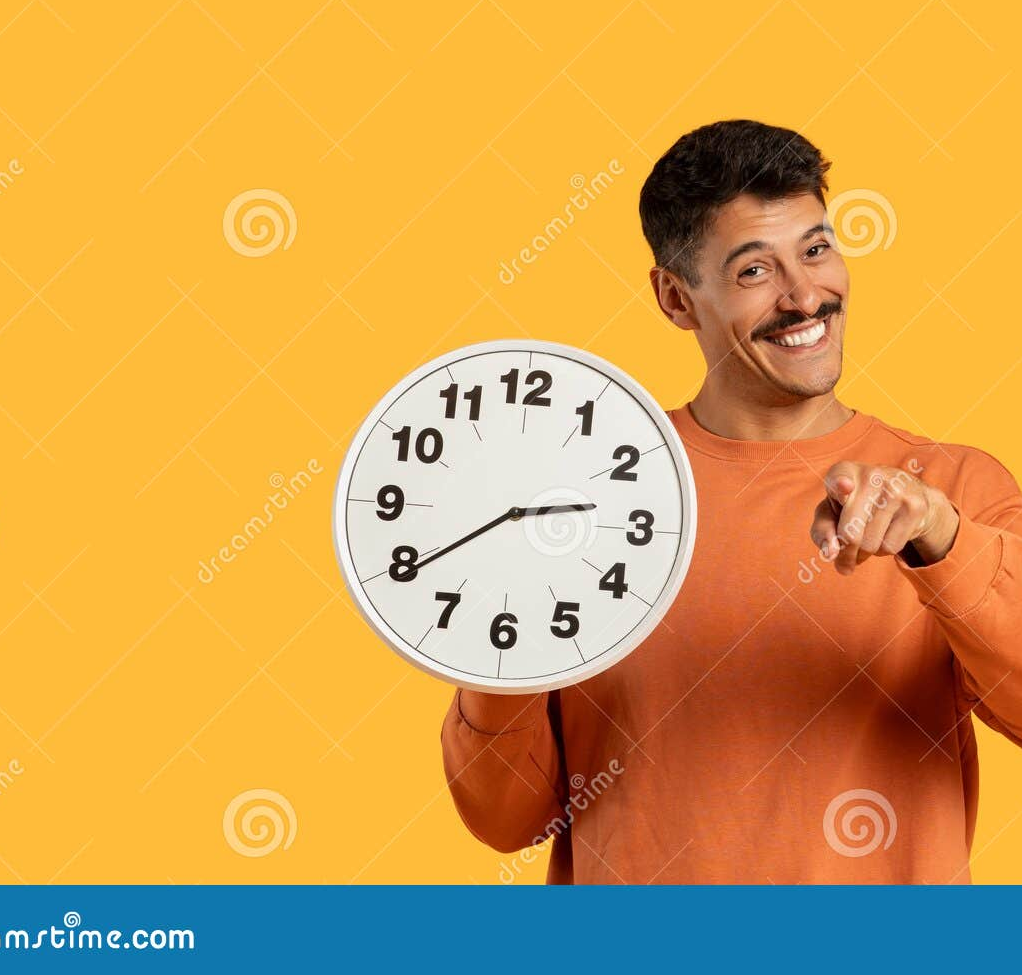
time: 2:39
